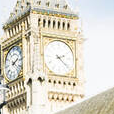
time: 2:21
